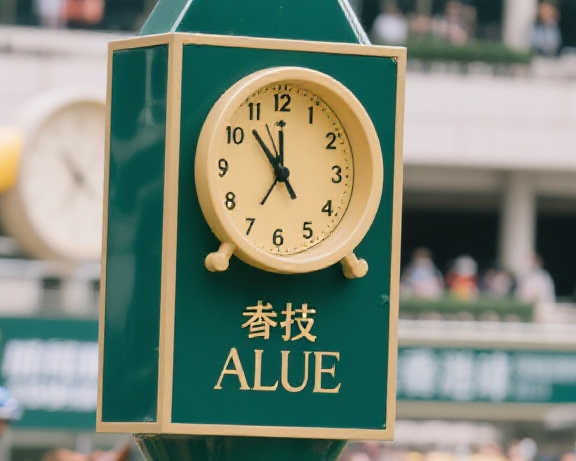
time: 11:52
